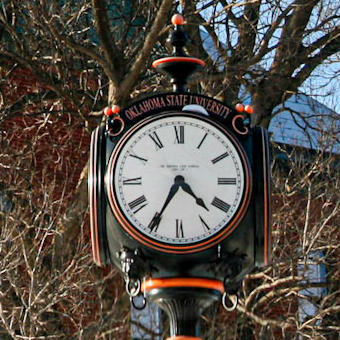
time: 4:35
